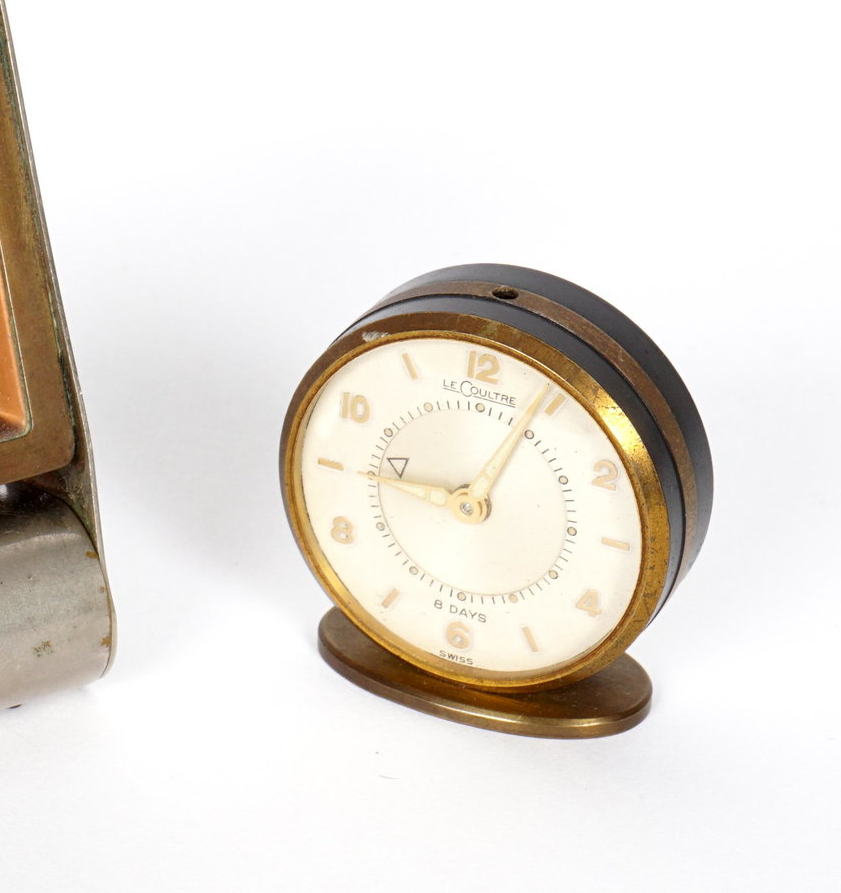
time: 9:04
